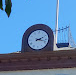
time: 2:17
